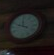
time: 11:48
